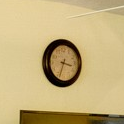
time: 3:33
